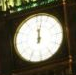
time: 12:02
